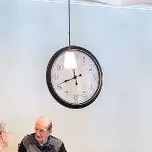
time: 5:41
